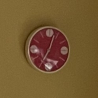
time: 7:03
